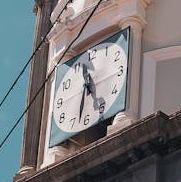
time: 11:32
